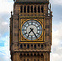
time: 7:24
